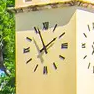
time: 1:56
